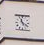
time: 11:21
